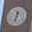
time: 12:32
